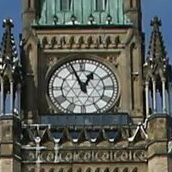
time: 12:56
